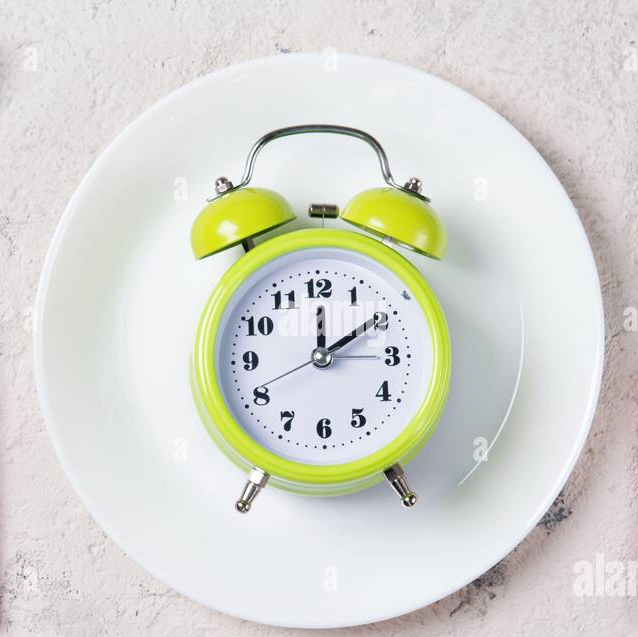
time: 12:09
